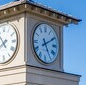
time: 5:10
